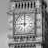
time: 8:59
